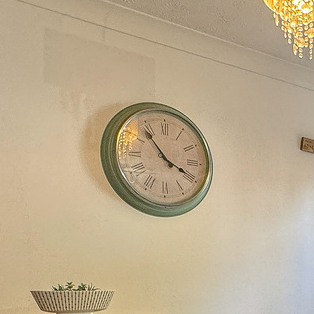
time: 3:53
